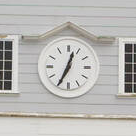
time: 12:34
